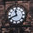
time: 11:41
